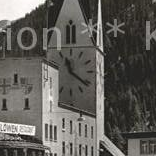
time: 11:21
